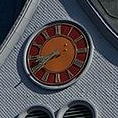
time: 8:40
